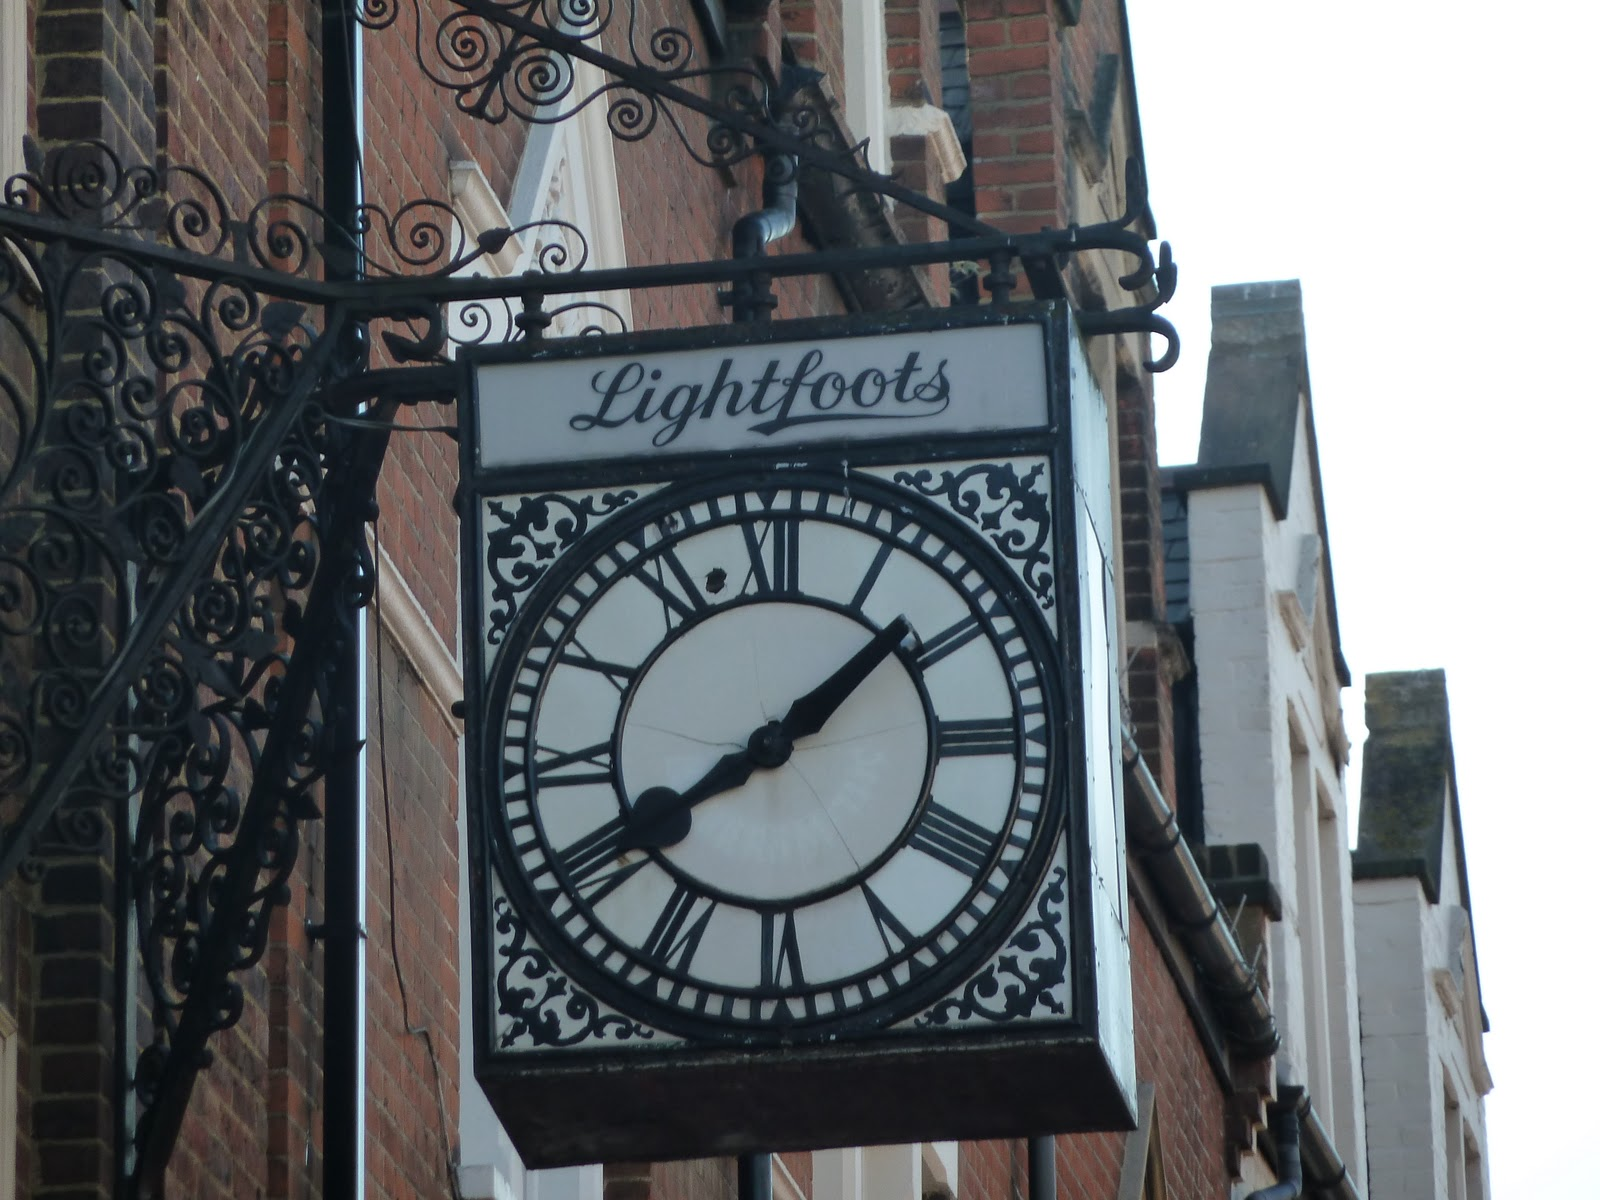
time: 1:40
